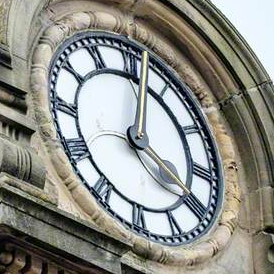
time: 4:02
